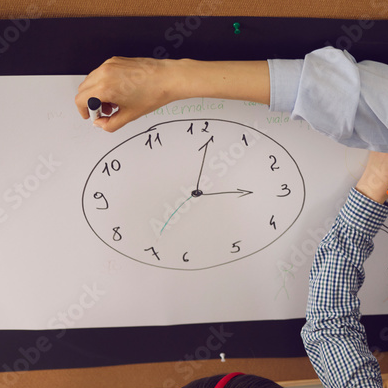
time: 3:01
